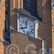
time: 11:40
